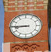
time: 8:45
